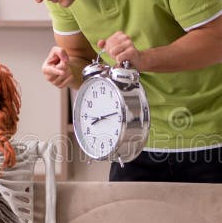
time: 8:12
